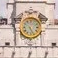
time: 5:26
